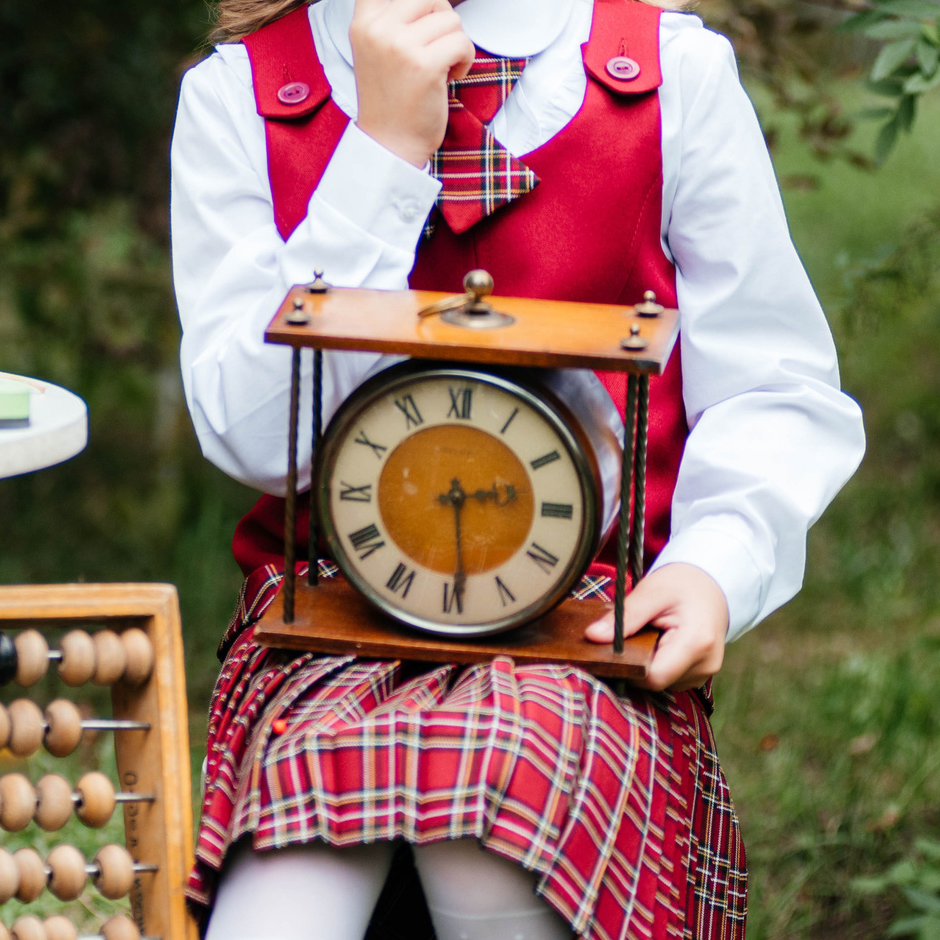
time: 2:29
